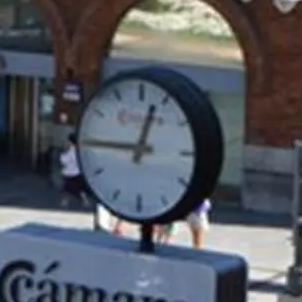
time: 12:45
